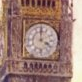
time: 4:00
